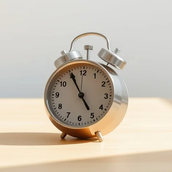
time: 4:55
